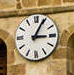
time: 3:04
